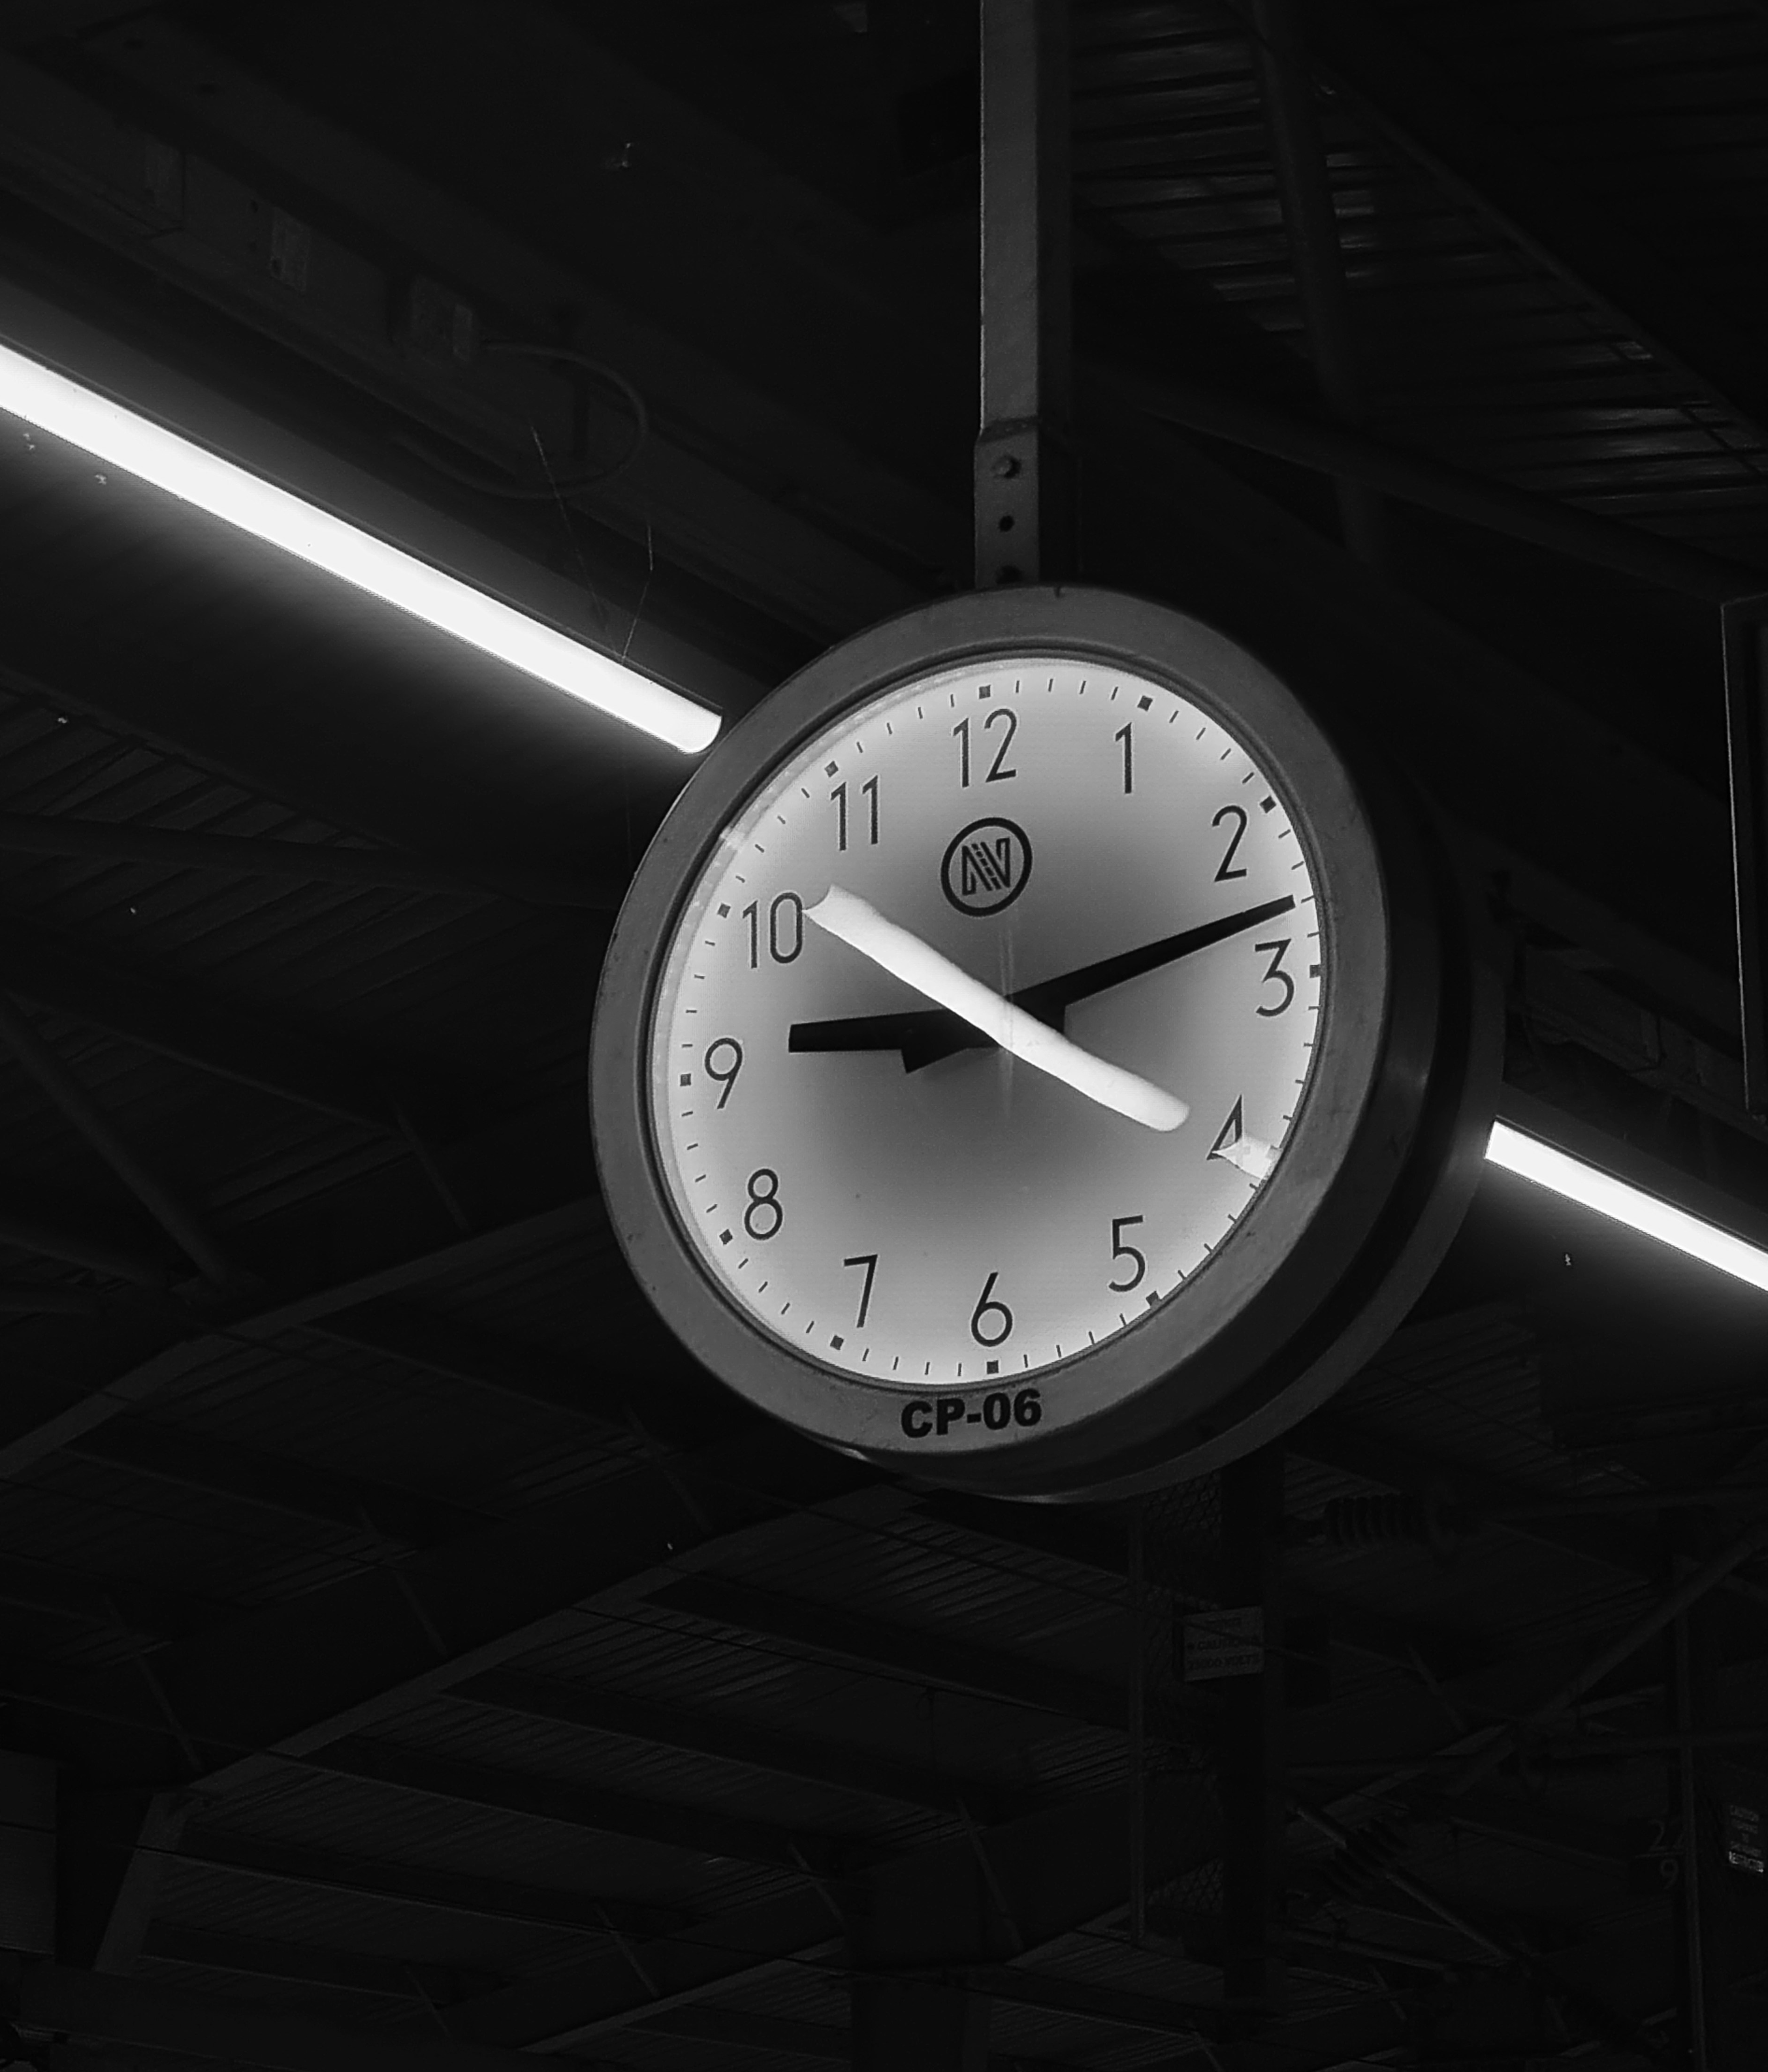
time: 9:13
